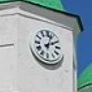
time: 2:03
